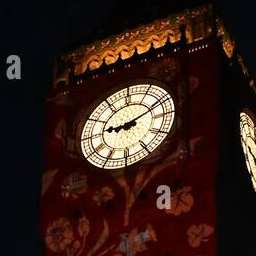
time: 9:11
